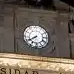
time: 7:40
